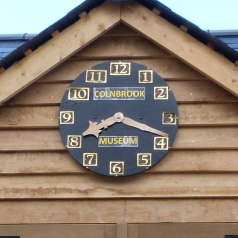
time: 8:18
